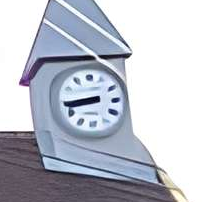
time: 8:43
